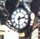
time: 2:30
